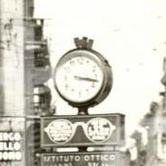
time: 3:17
